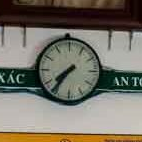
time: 7:36
